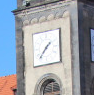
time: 1:36
